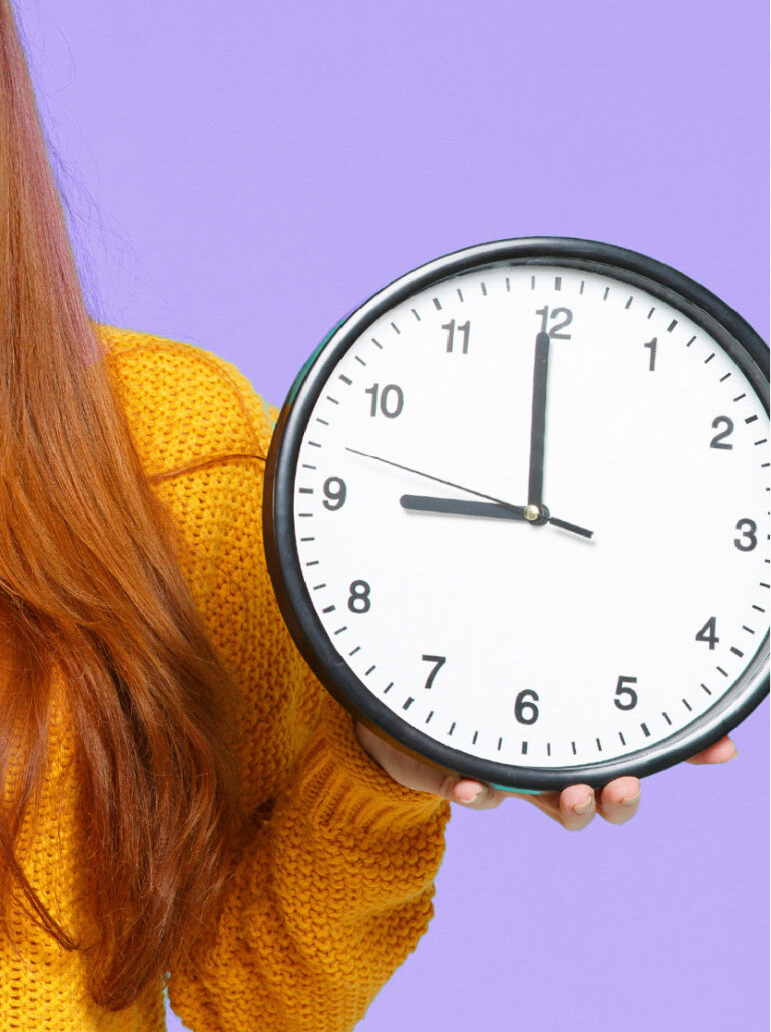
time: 8:59
